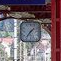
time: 1:36
